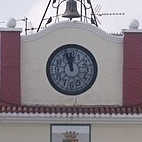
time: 11:57
